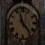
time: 11:23
